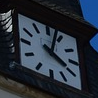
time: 4:02
